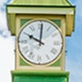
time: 10:00
